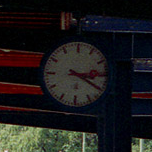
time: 3:20
